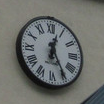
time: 12:24
